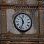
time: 11:33
